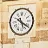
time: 5:21
